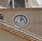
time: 2:02
